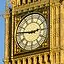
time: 2:46
